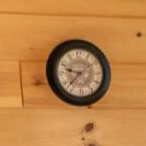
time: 9:37
